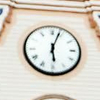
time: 6:03
